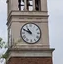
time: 10:48
